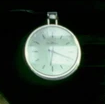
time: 6:18
